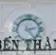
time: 2:23
